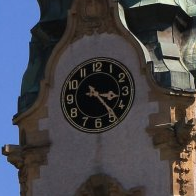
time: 3:24
